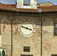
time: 3:48
